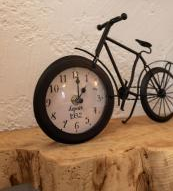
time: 1:00
